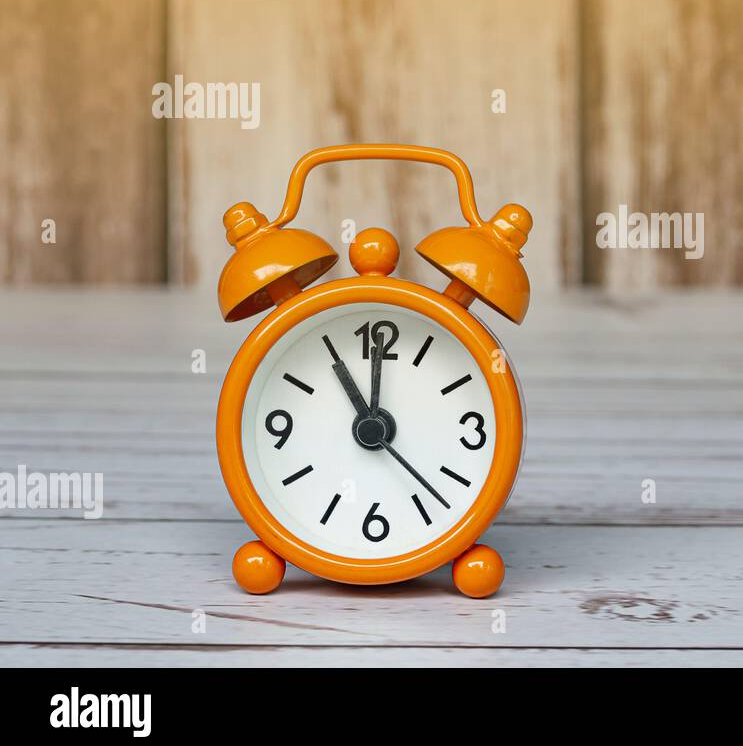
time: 11:00
